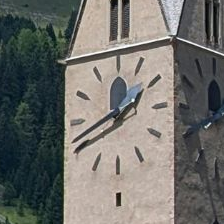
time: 1:41
